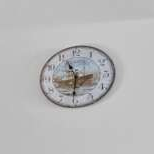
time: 11:31
